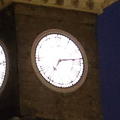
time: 7:13
